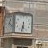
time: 5:31
